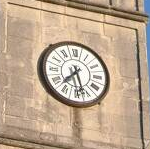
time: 7:27
